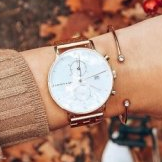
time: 12:12
